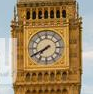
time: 7:40
